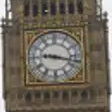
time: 9:17
